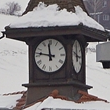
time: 11:46
